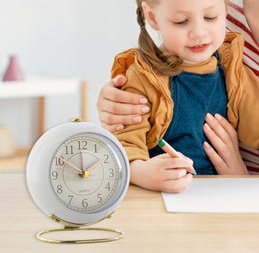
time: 1:50
